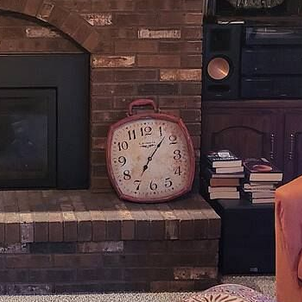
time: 7:07
